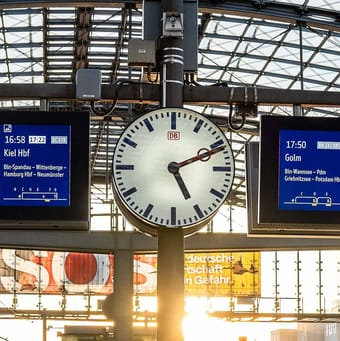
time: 5:11
